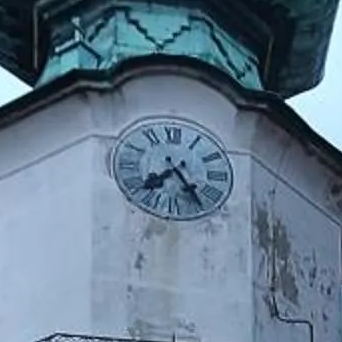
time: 7:24
